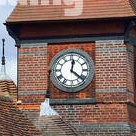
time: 12:21
